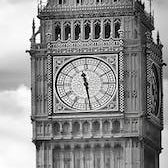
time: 11:28
